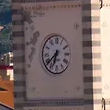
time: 6:38
